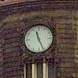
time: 11:25
